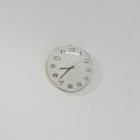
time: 8:37
